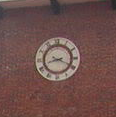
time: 8:19
